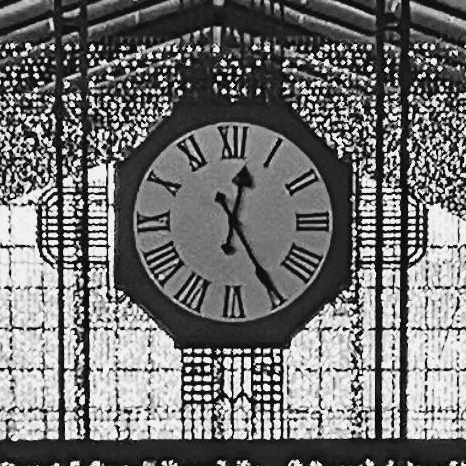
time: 12:24
